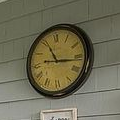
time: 11:16
